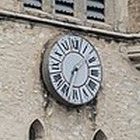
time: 1:33
